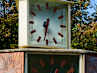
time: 12:31
